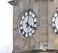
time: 4:02
